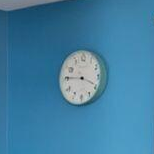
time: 3:45
